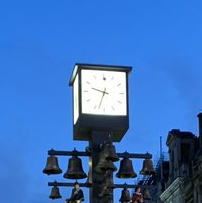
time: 9:33
